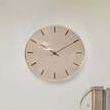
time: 10:10
